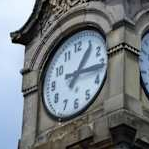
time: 1:16
